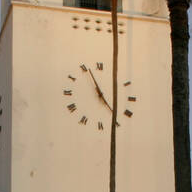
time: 4:56
